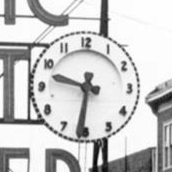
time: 9:32
